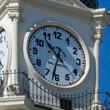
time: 10:32
